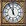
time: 11:55
